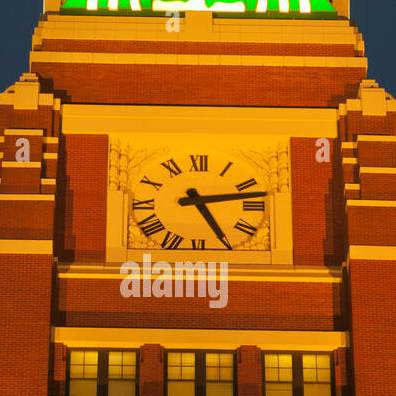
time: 5:13
